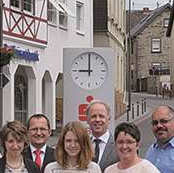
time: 9:00
